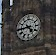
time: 4:43
